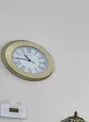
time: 10:44
